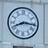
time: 8:16
